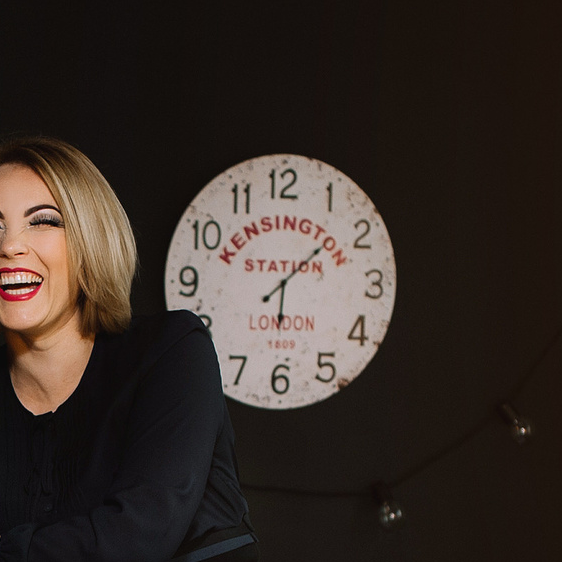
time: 6:08
